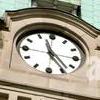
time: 11:23
